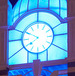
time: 7:49
